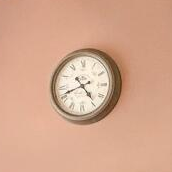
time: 4:41
